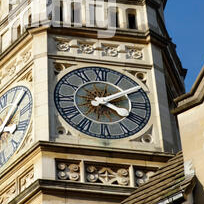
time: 4:09
